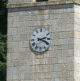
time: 2:18
